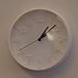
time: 1:08
